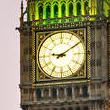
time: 9:09
